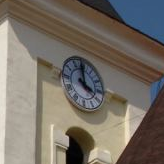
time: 3:58
